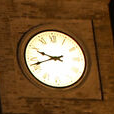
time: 9:42
